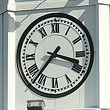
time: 3:36
